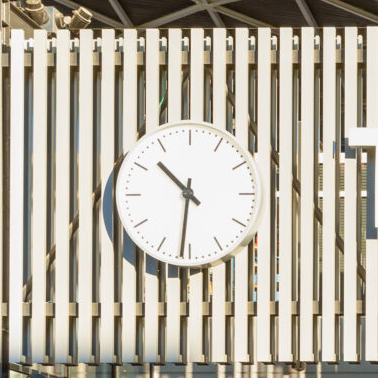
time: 10:31
